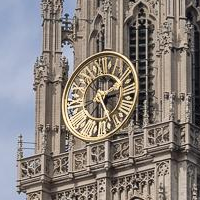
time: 2:24
